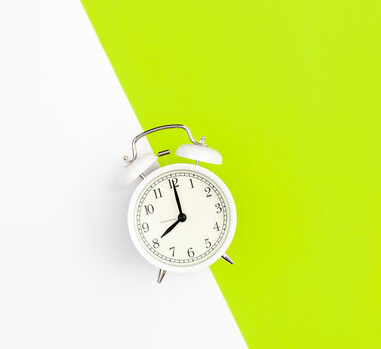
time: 8:00
